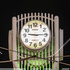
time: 9:14
